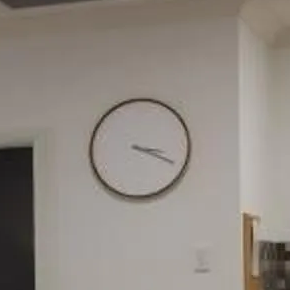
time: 3:19
